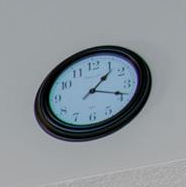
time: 1:18
